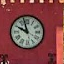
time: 9:57
